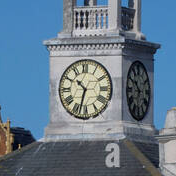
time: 10:32
